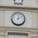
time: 12:08
